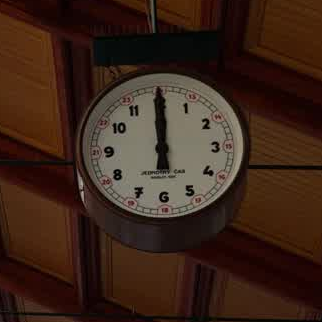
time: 11:59
